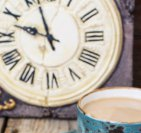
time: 9:57
